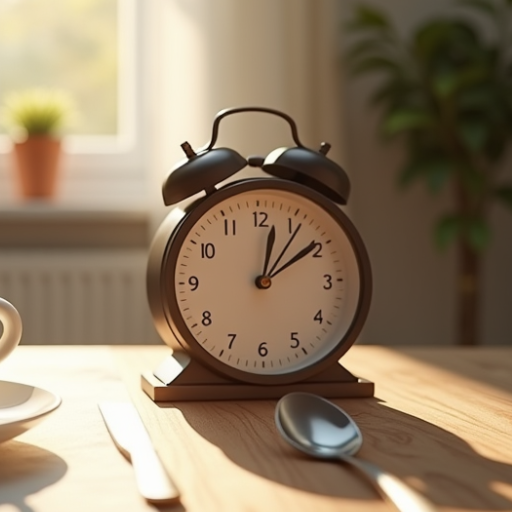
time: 12:09
